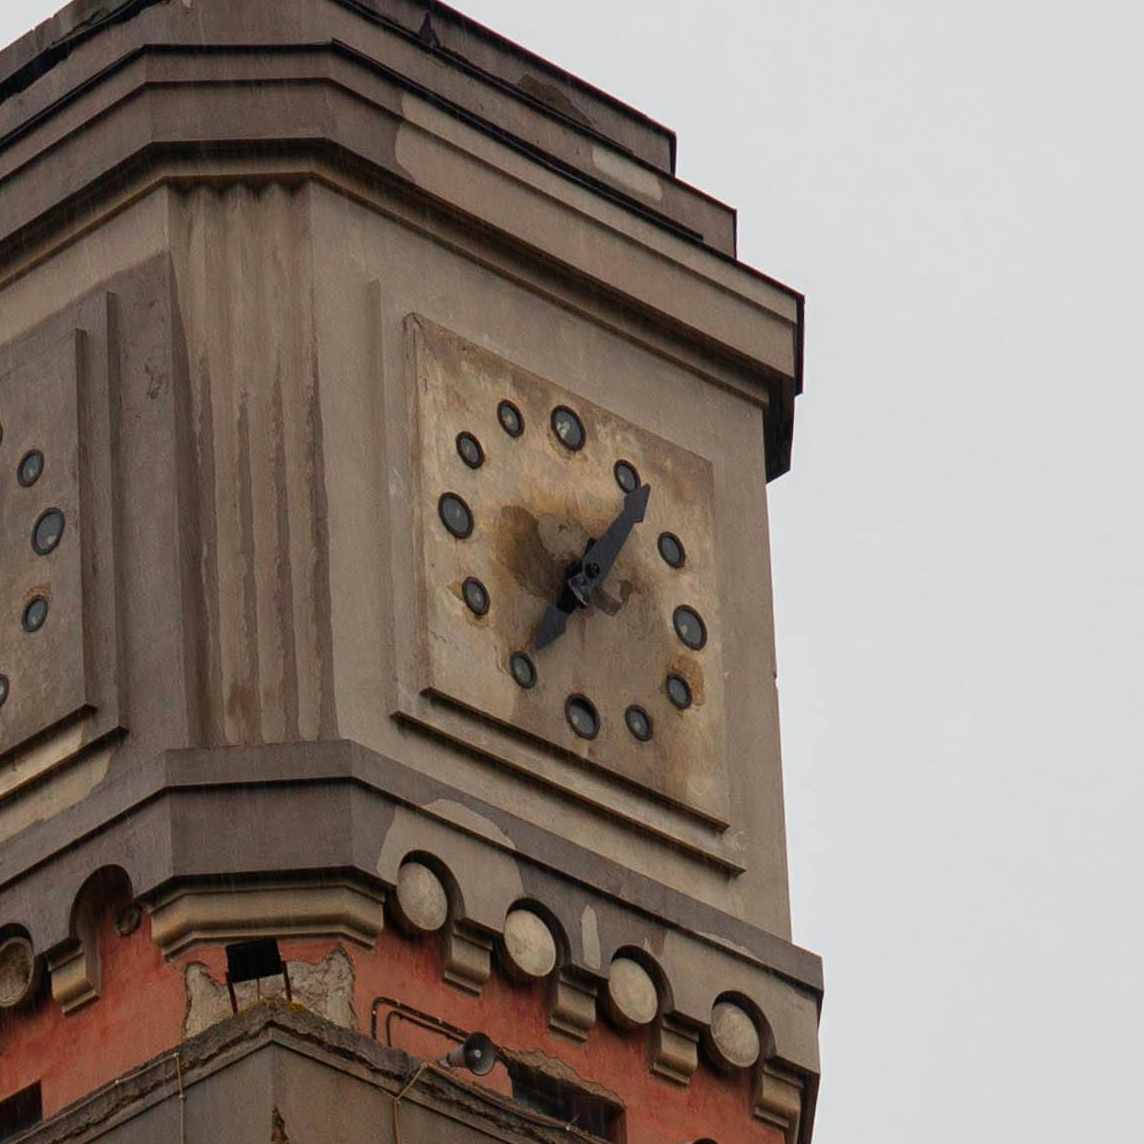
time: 7:06
